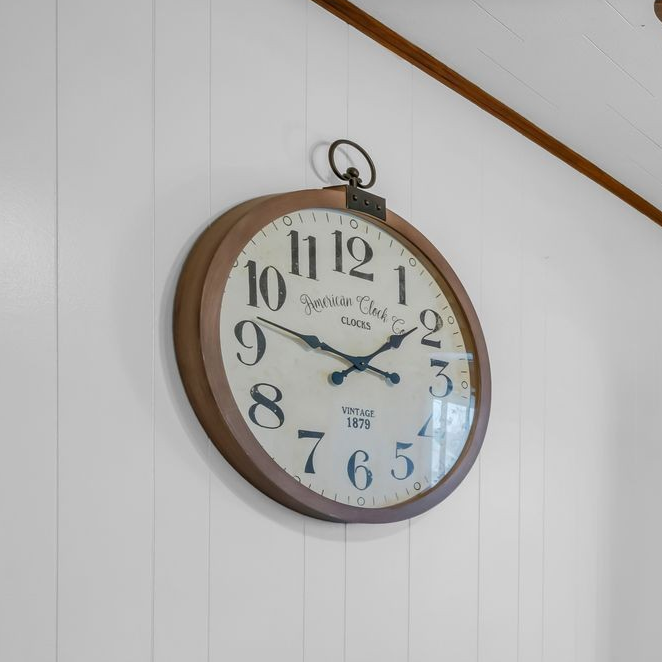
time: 1:47
